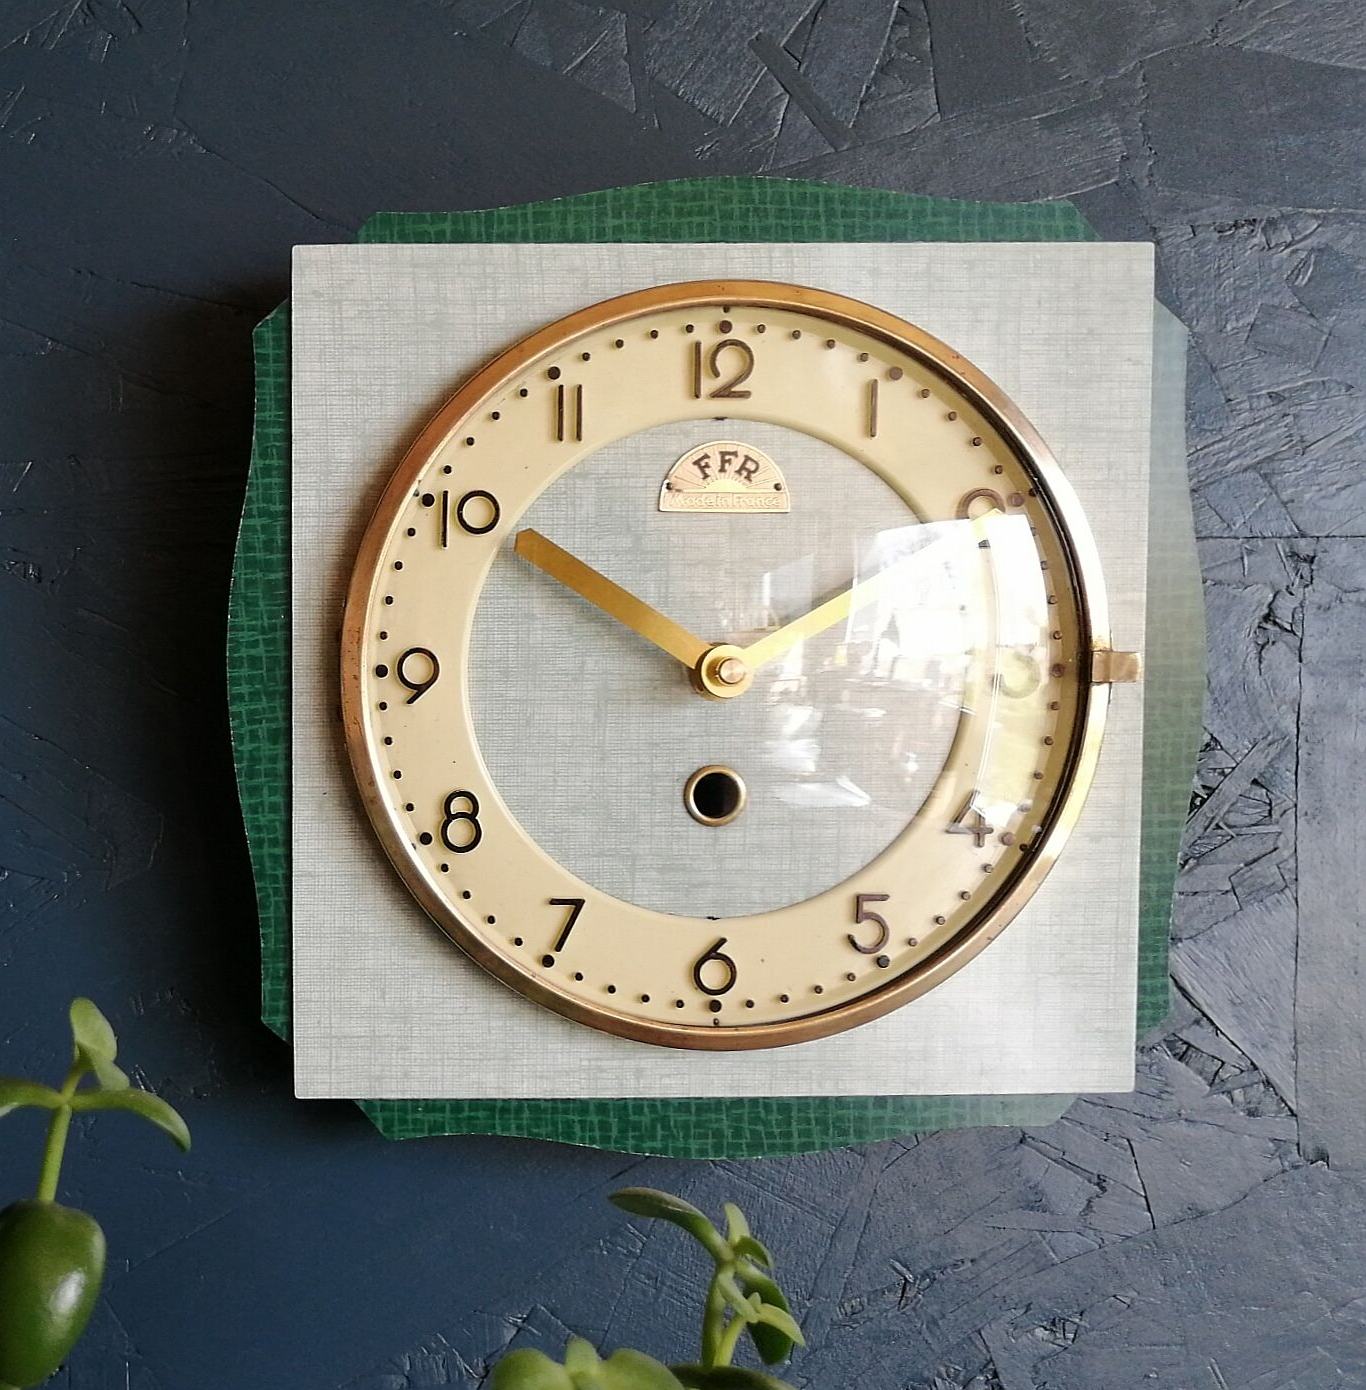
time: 1:50
